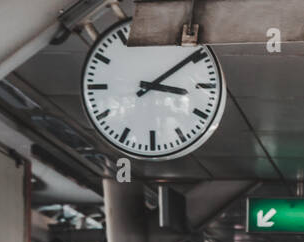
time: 3:09
